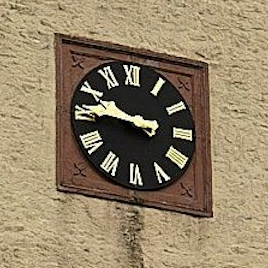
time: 9:45
